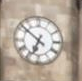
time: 6:51
